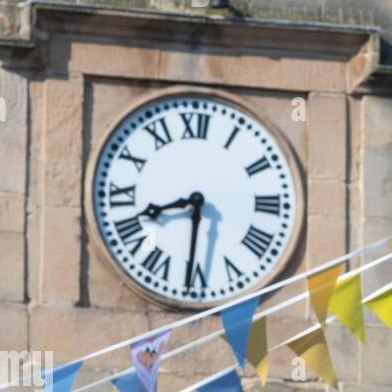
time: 8:31
